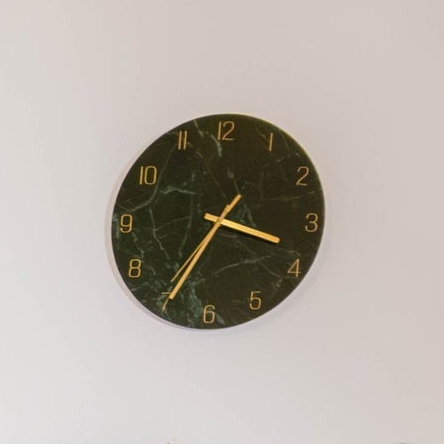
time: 3:34
